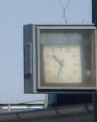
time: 10:33
